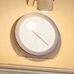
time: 4:22
